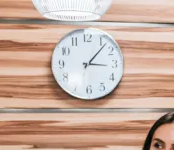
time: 3:07
